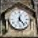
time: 12:23
